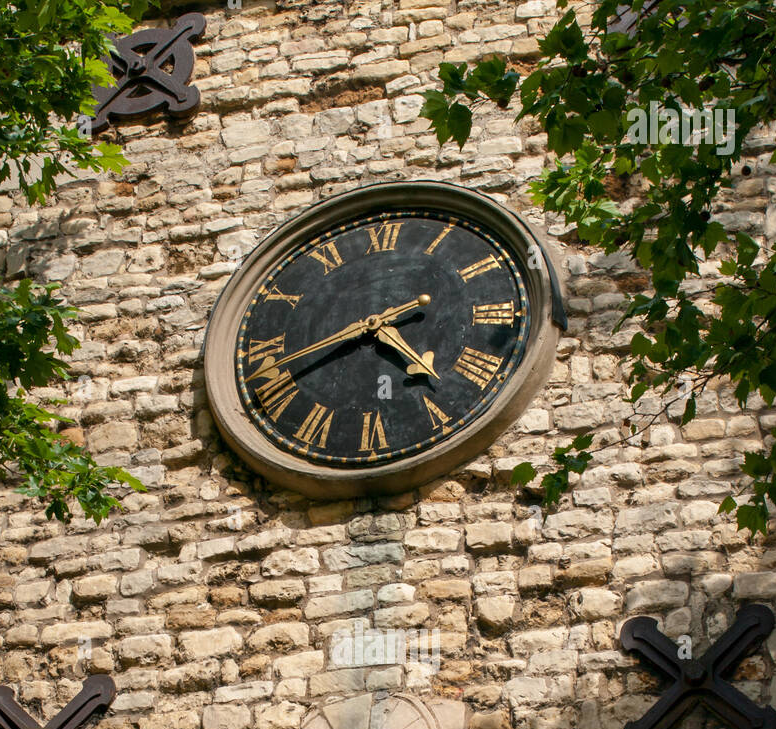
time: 4:41
